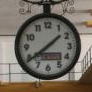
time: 1:39
